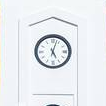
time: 5:03
